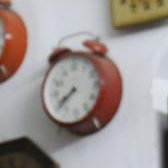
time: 7:37
